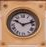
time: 10:12
